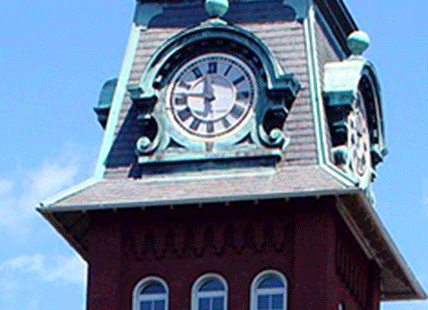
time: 11:46
